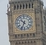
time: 10:34
